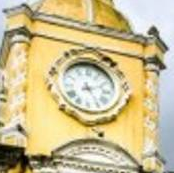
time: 5:11
